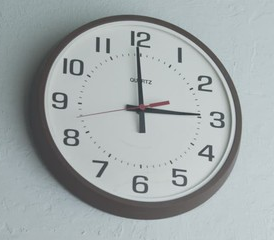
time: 2:59
